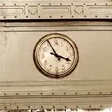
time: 3:55
